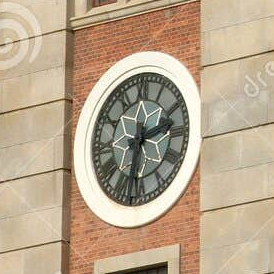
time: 2:32
